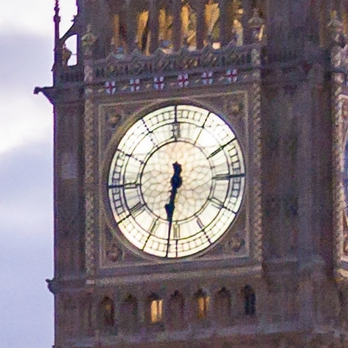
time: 6:31
